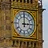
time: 3:00
